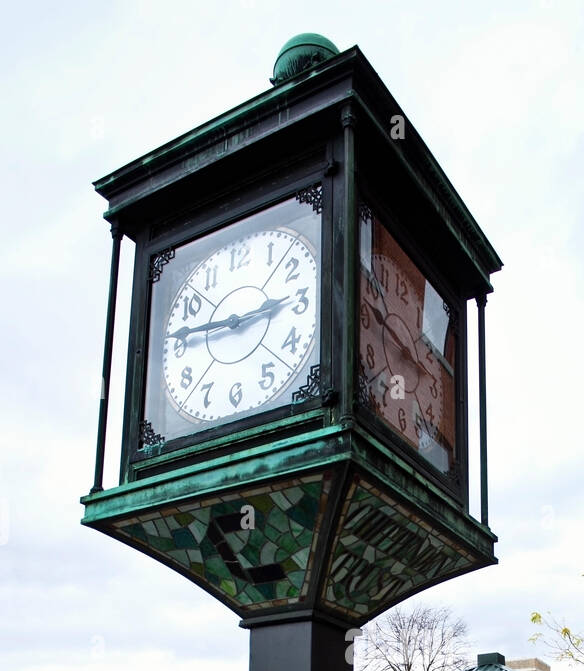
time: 2:46
